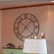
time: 7:07
